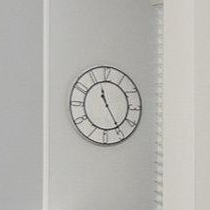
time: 11:24
